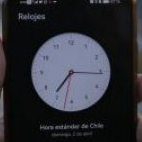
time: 7:15
